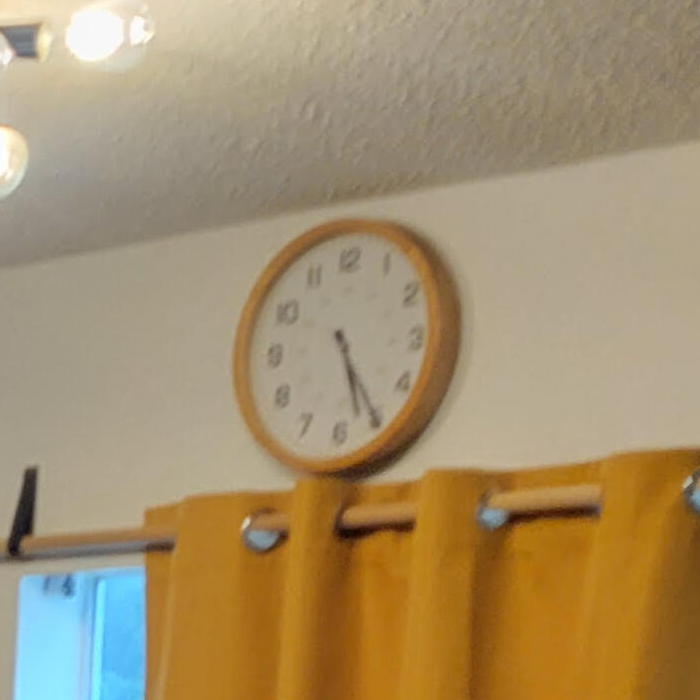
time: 5:24
